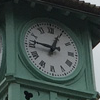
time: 12:46
